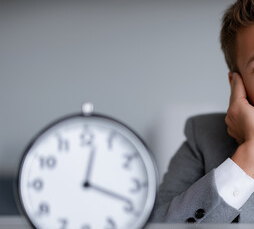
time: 12:18
